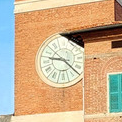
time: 9:22
